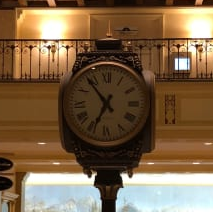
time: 6:53
